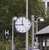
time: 11:45
